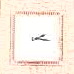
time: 2:15
